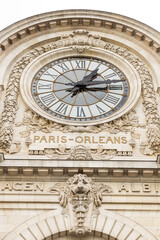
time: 1:13
